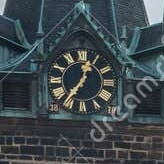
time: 12:36
